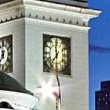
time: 6:59
